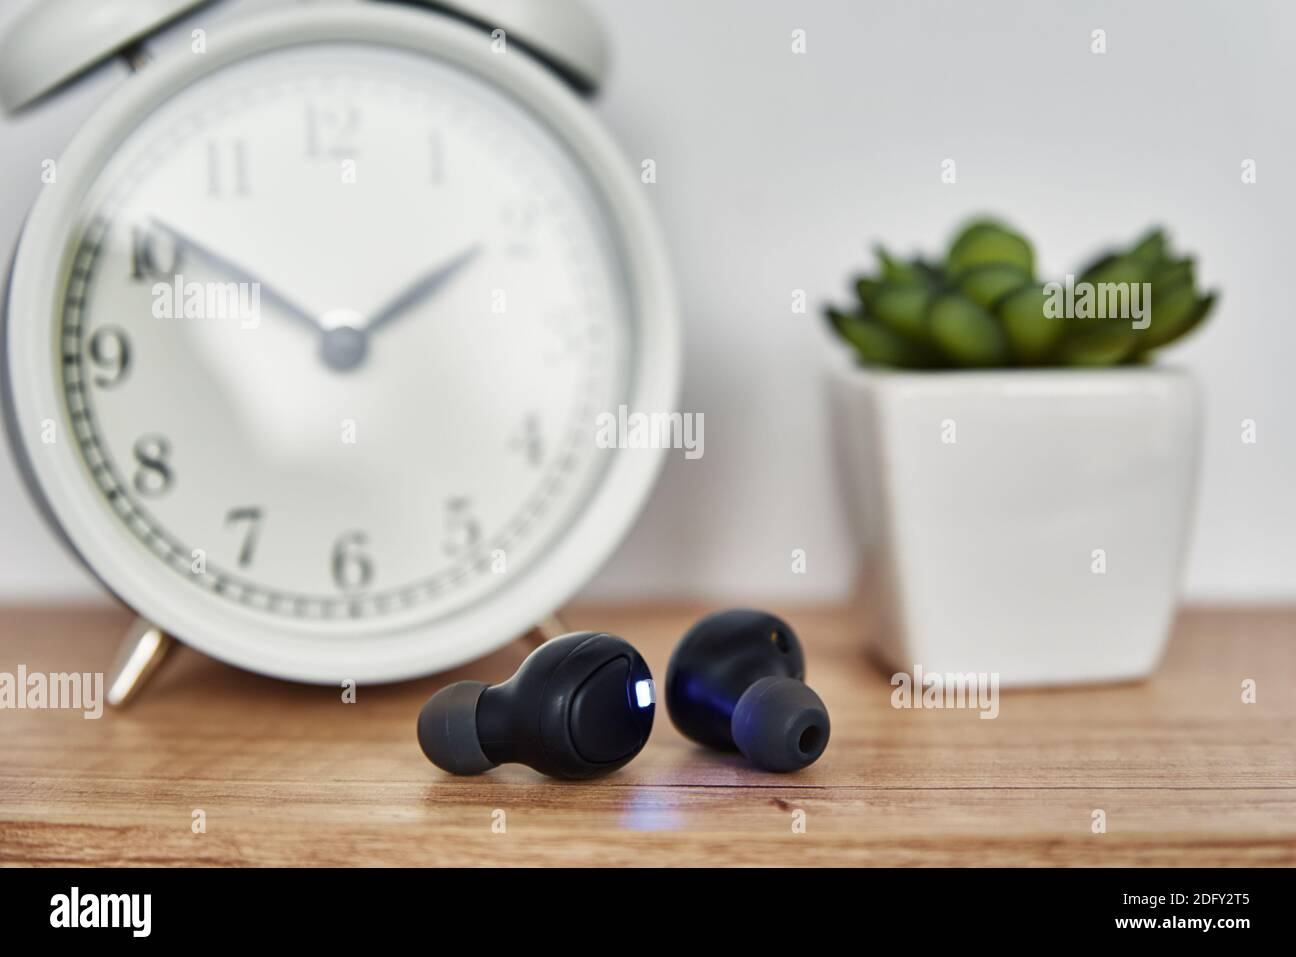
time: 1:50
